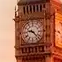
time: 9:22
